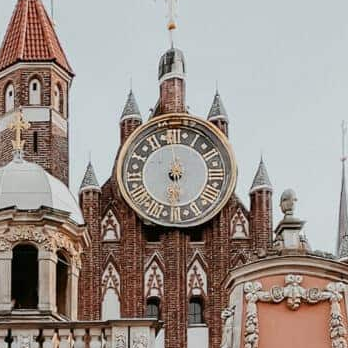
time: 5:59
